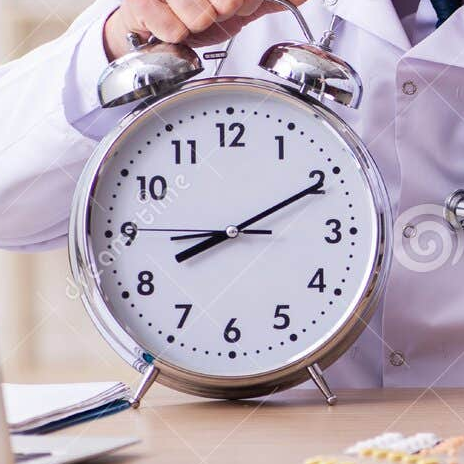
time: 8:10
